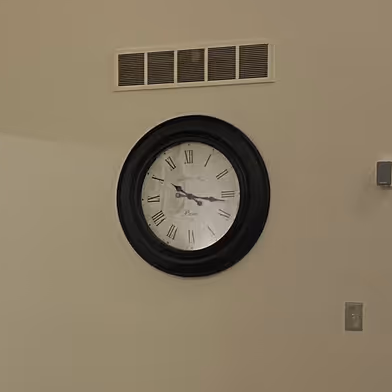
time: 10:16
